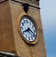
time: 8:20
